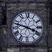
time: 3:47
